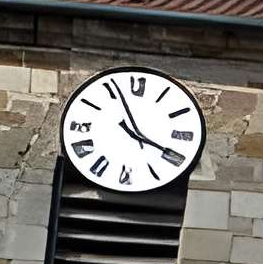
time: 3:56
